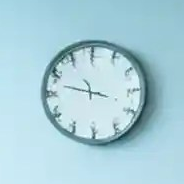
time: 3:47
